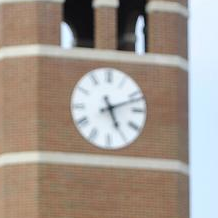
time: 5:11
